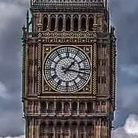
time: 1:16
